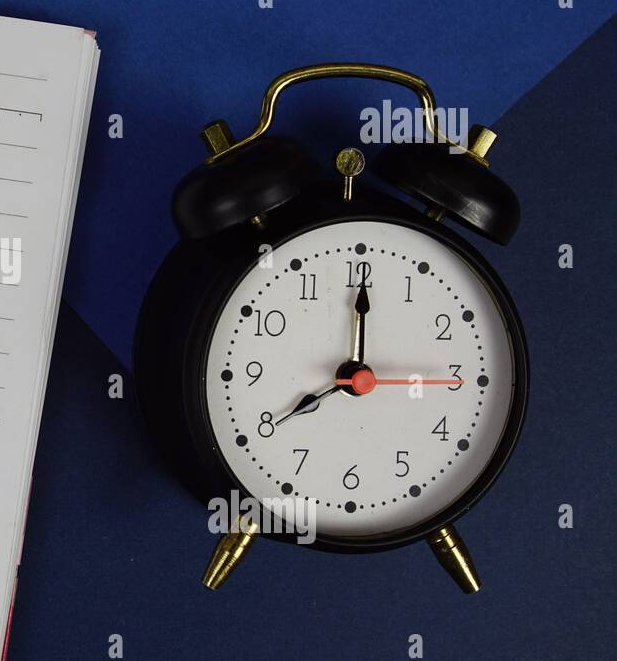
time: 8:00
